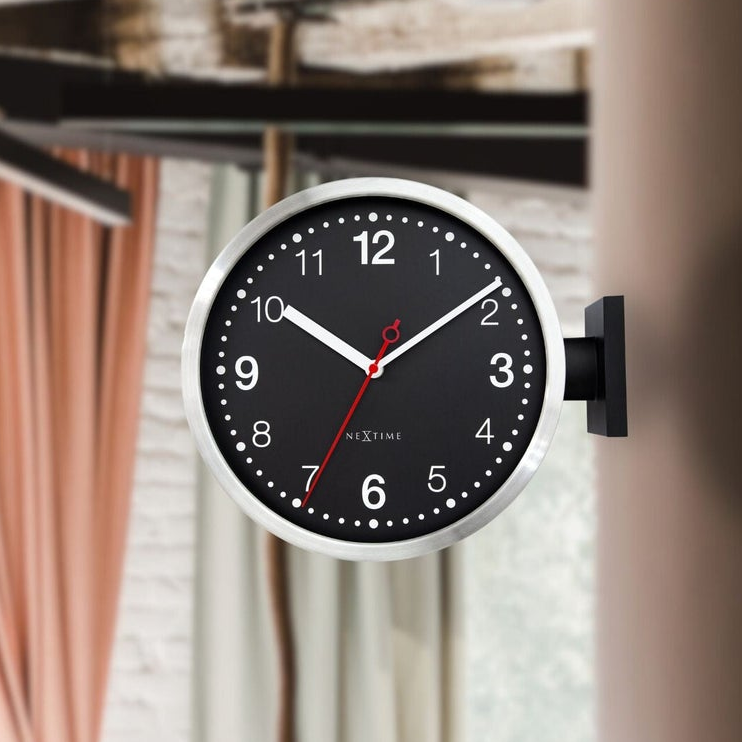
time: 10:09
